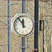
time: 11:54
